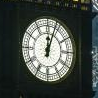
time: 12:03
